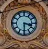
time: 3:30
